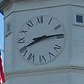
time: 8:14
